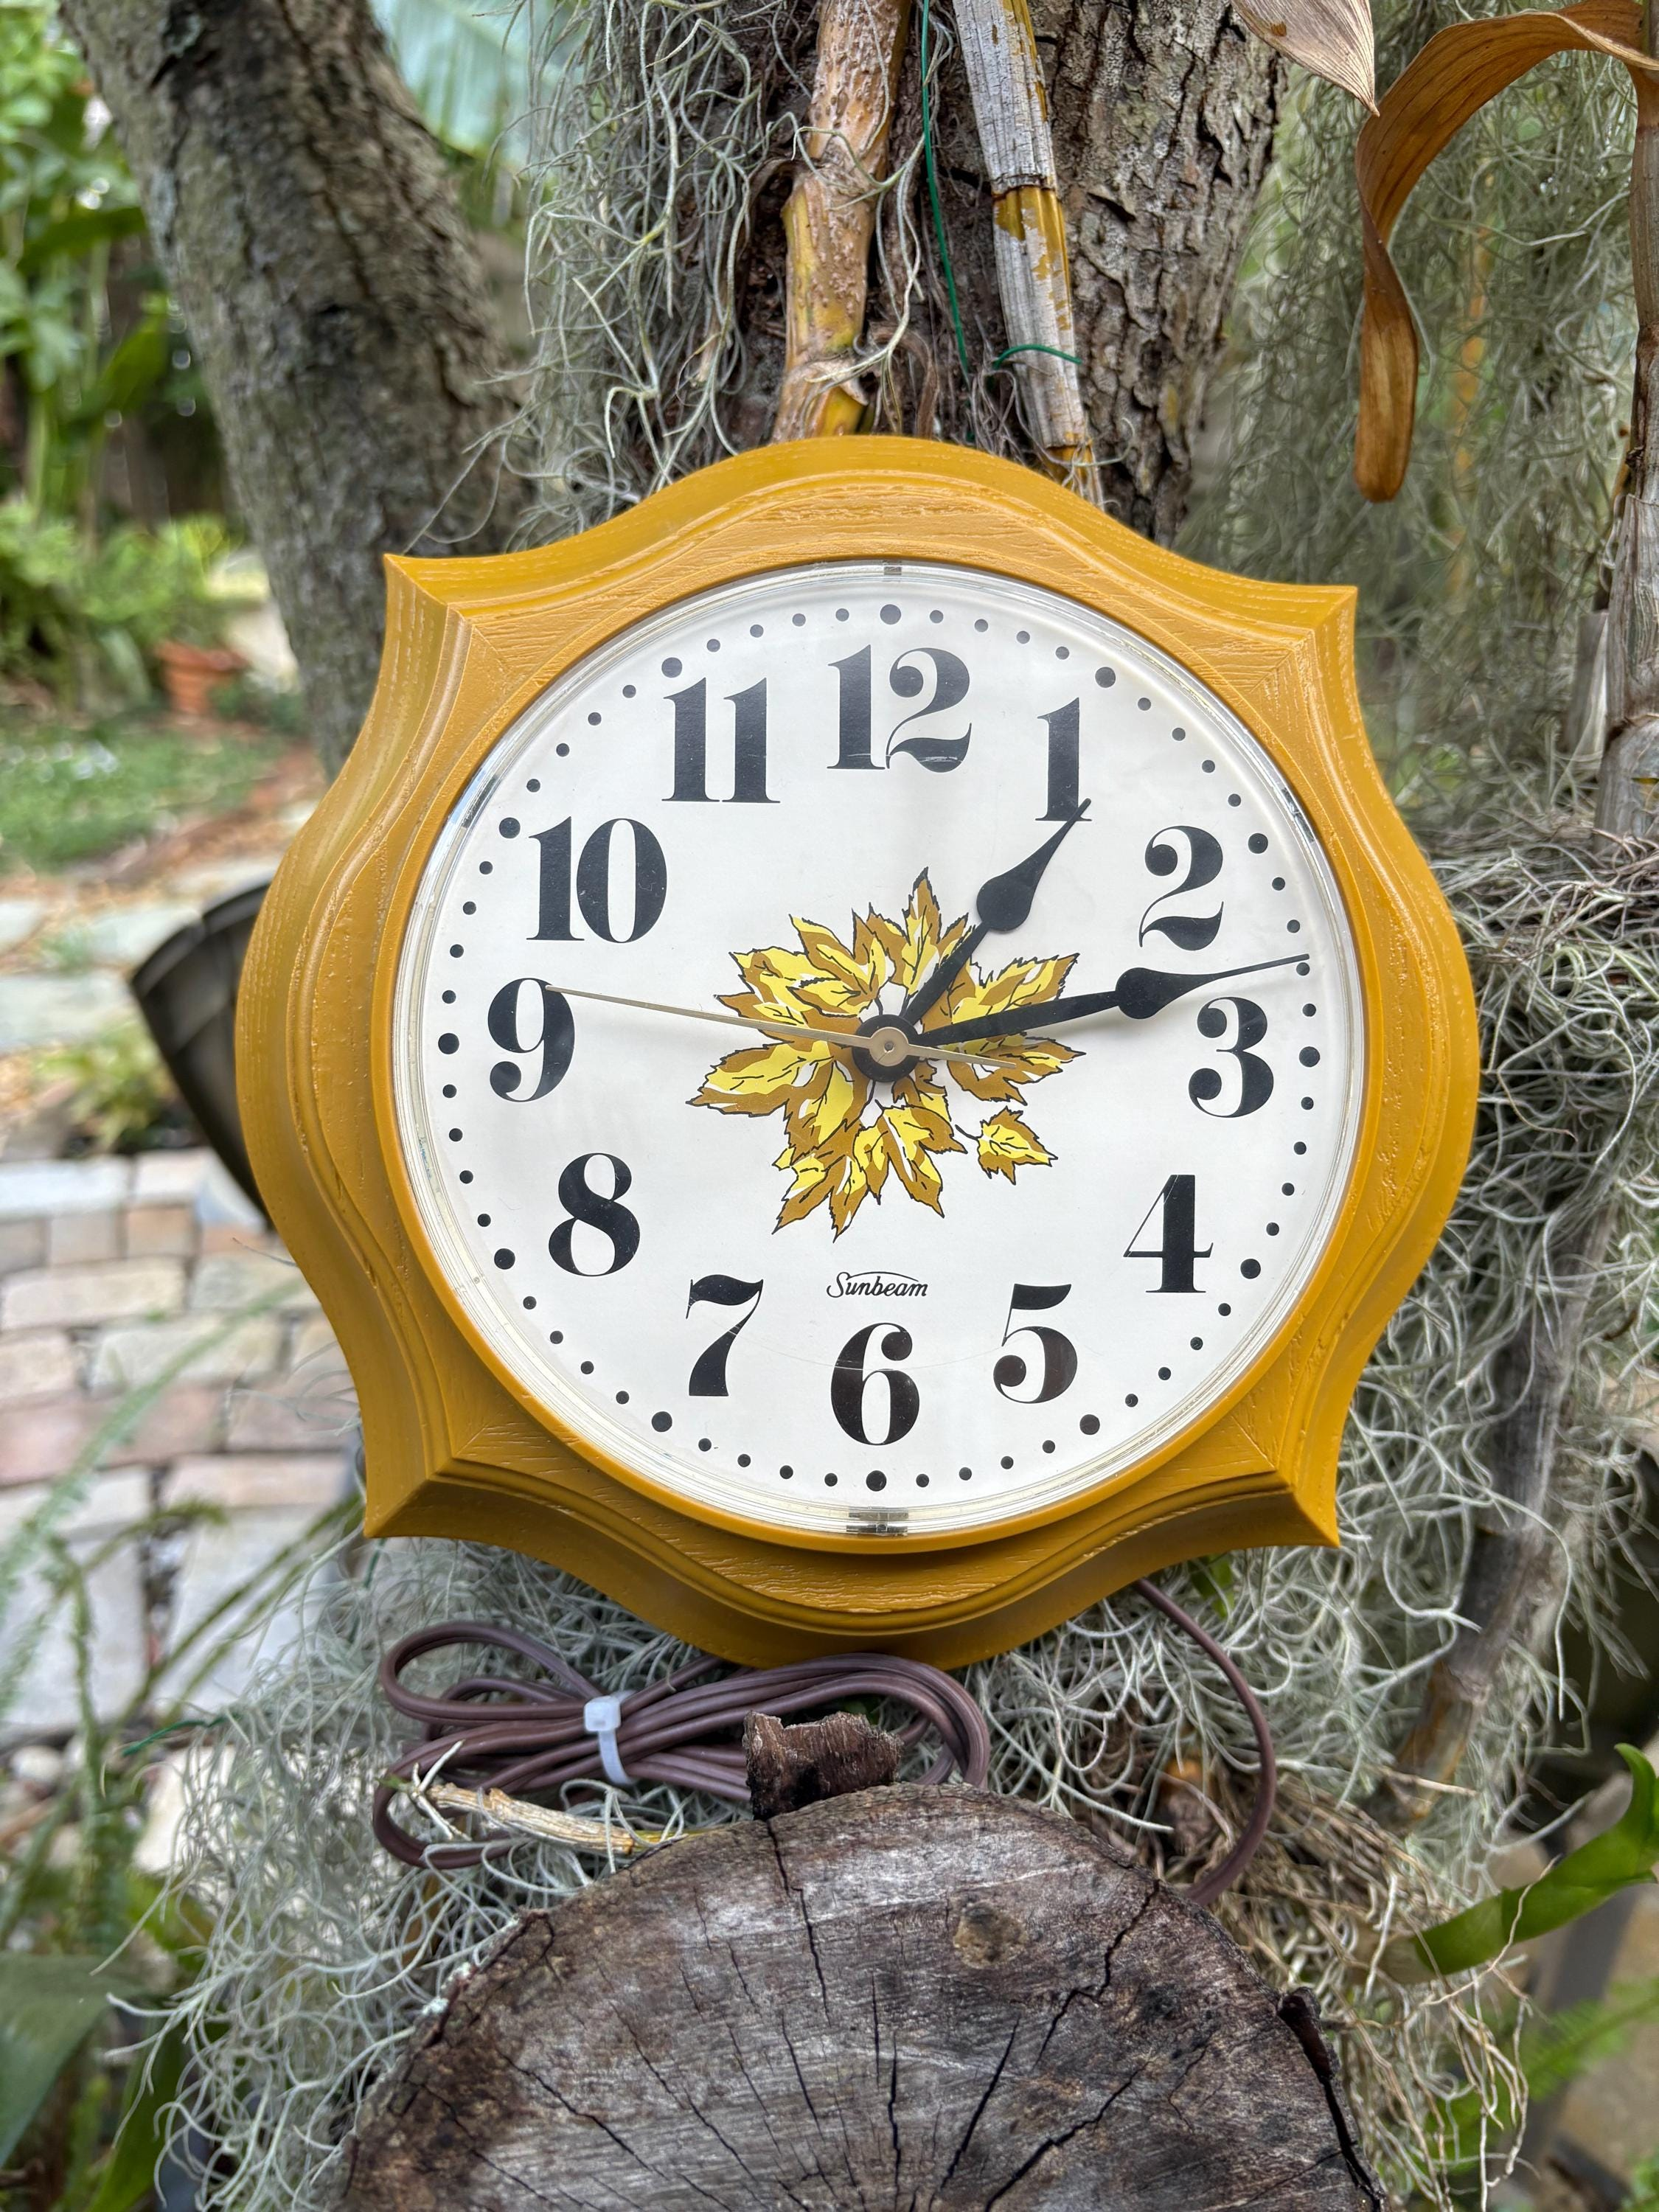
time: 1:12
